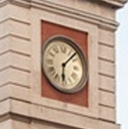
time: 6:07
